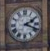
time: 2:18
